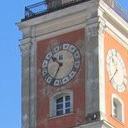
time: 10:34
